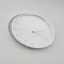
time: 4:14
